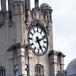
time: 5:11
